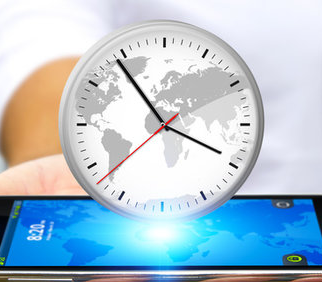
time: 3:54
